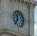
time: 11:35
